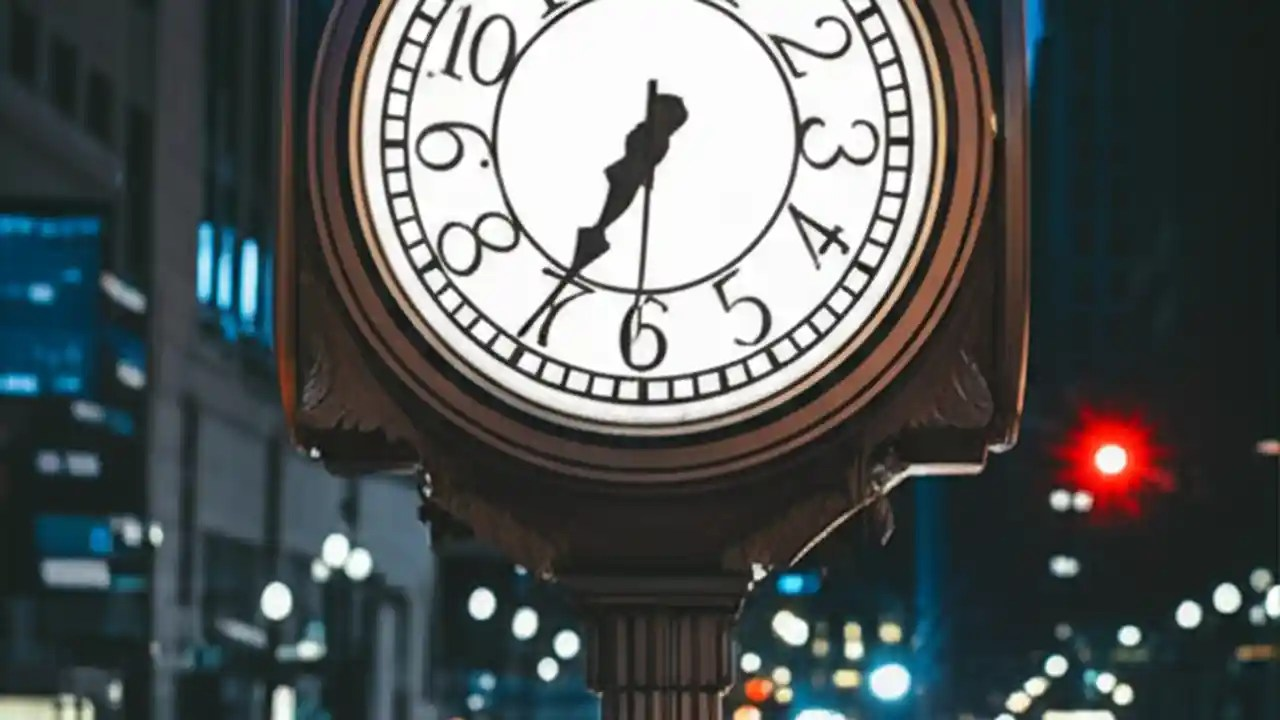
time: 6:34
